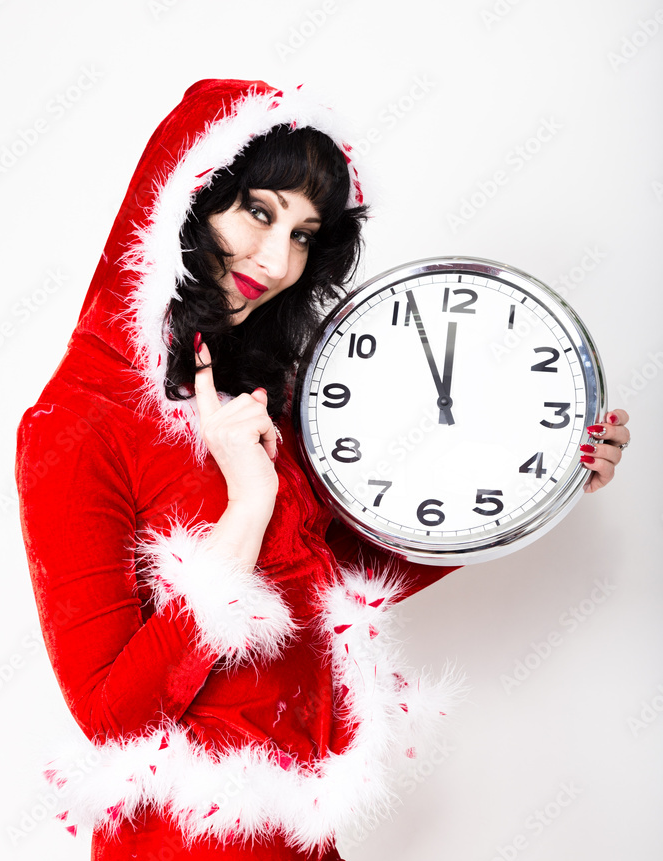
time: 11:55
